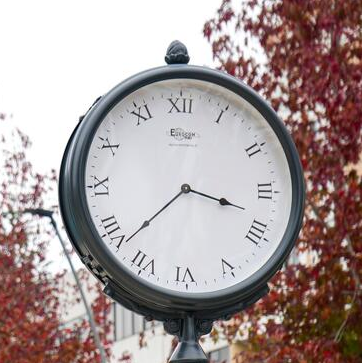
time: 3:38
